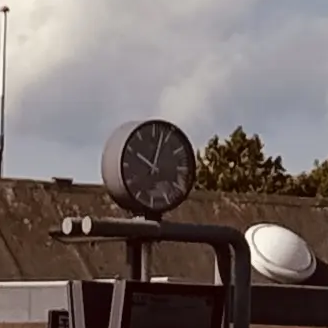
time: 10:02
